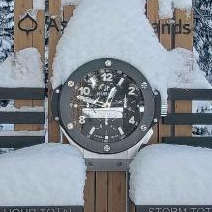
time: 12:47
